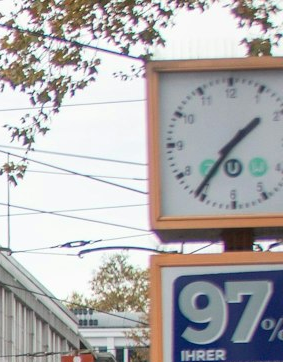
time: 1:36
